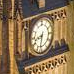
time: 8:32
